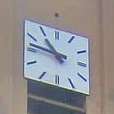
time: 10:46
